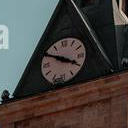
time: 3:49
